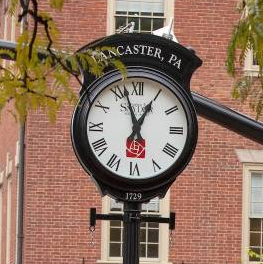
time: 12:57
